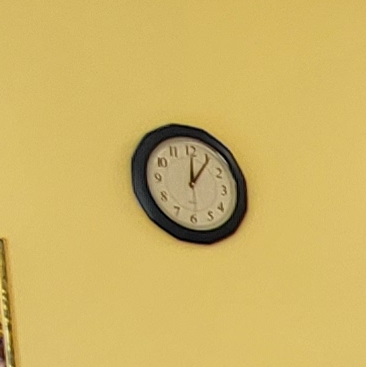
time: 12:05
